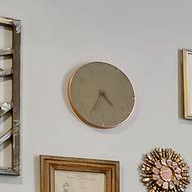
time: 4:35
